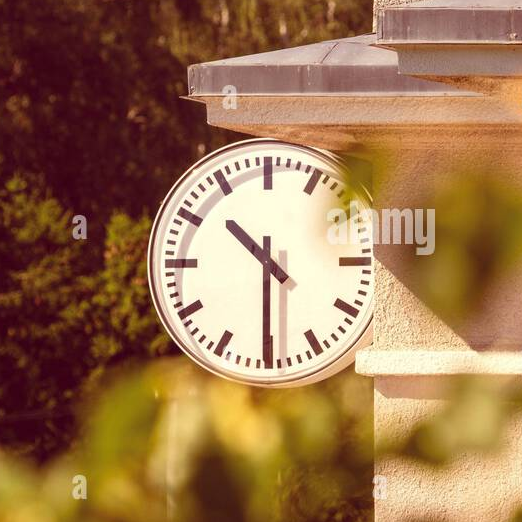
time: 10:30
